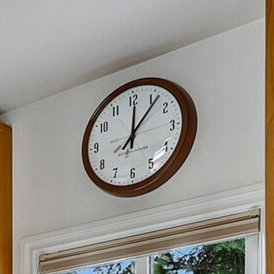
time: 12:06
